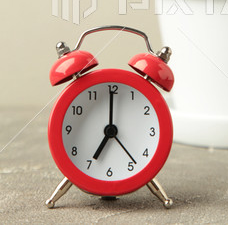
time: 7:00
